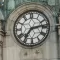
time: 7:13
